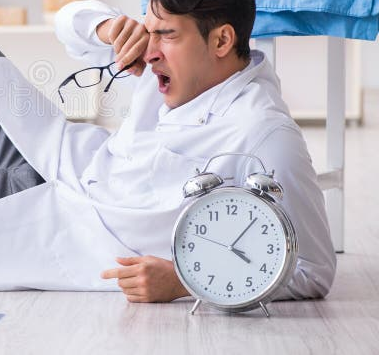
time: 4:06
